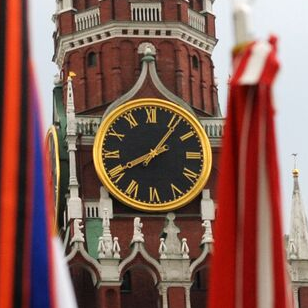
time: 8:06
